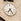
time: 7:25
